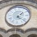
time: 1:21
